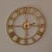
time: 2:29
